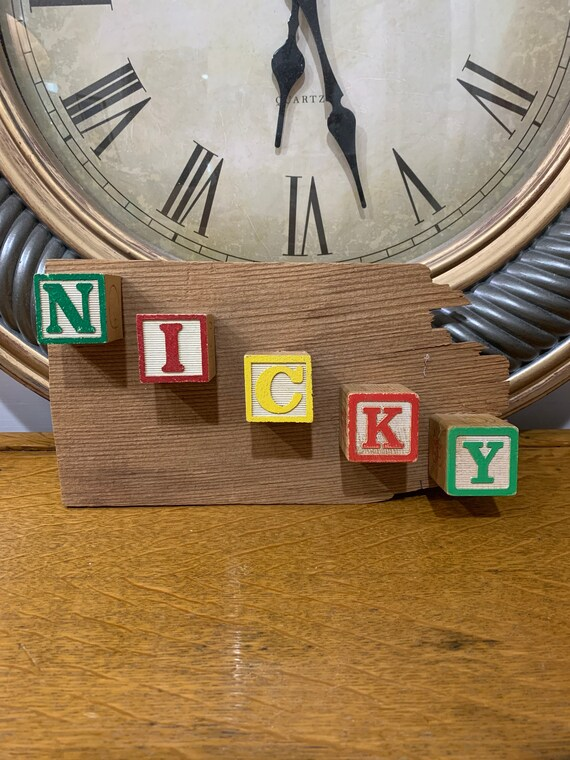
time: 6:27
